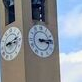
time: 3:13
